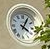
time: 4:04
